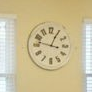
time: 12:47
